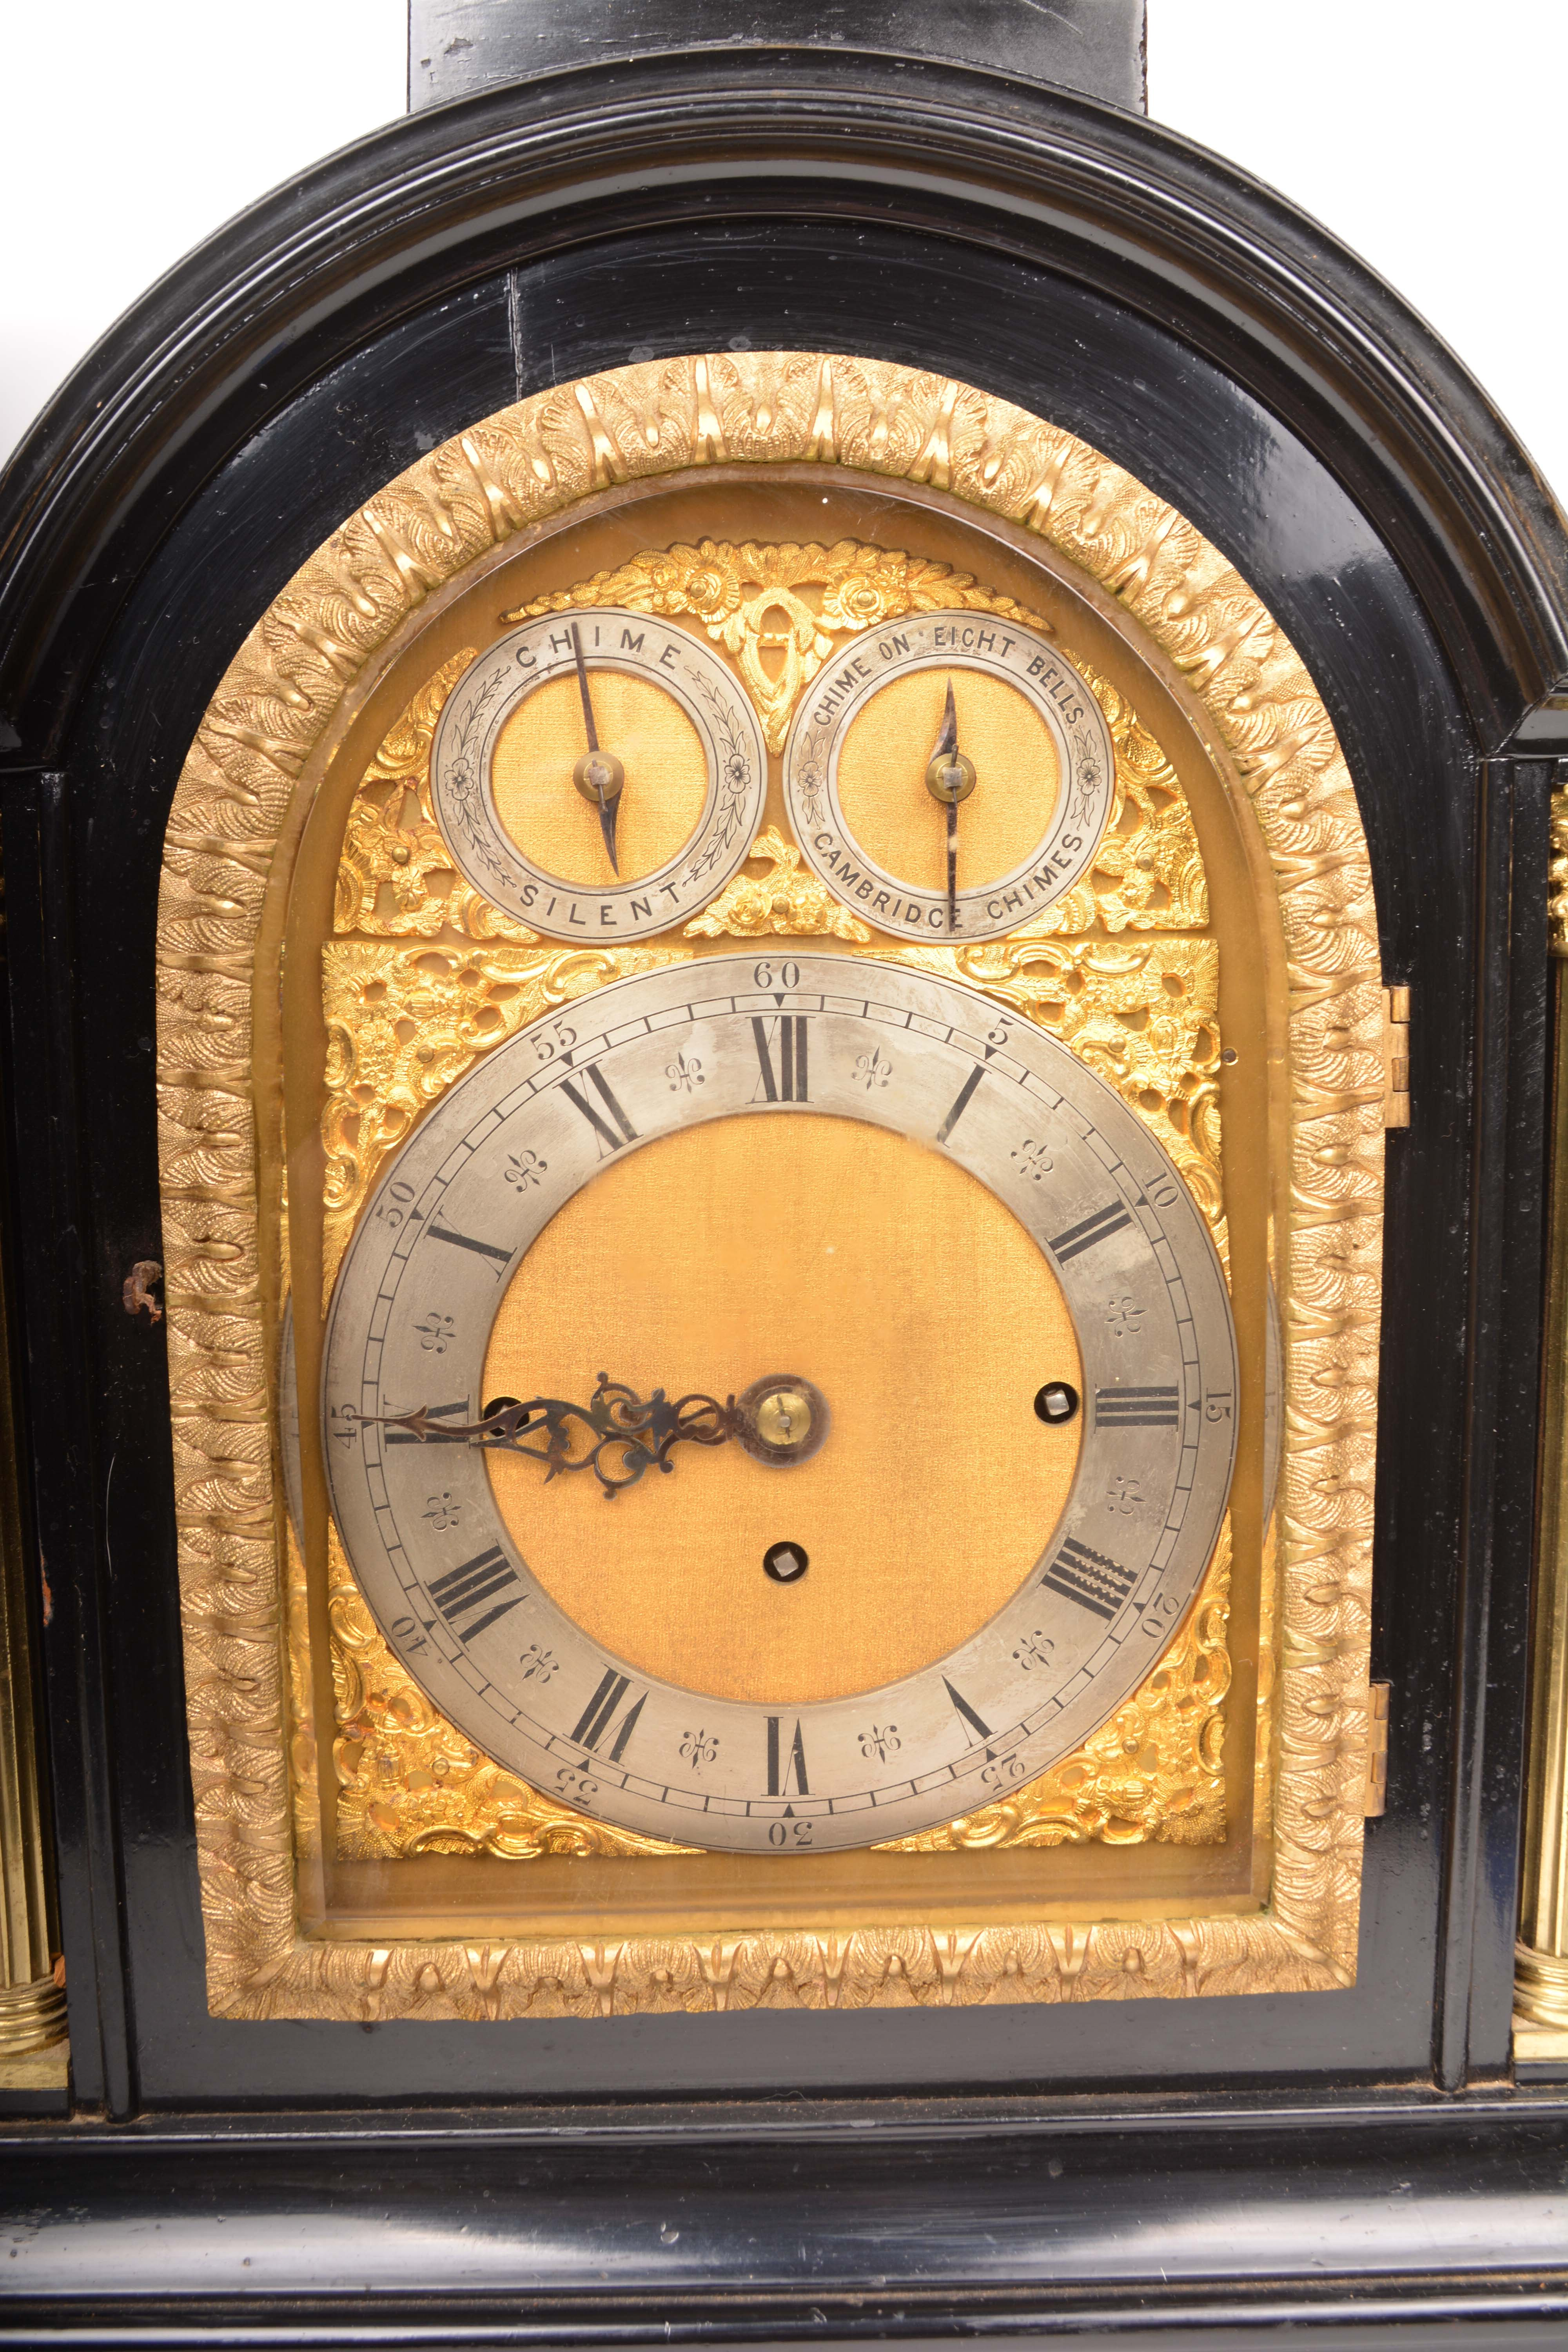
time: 8:44
